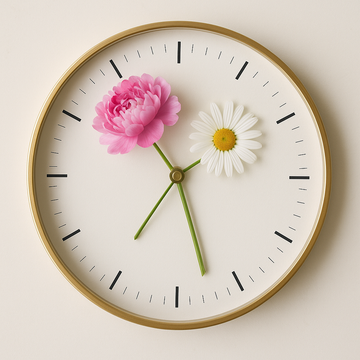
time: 1:27
